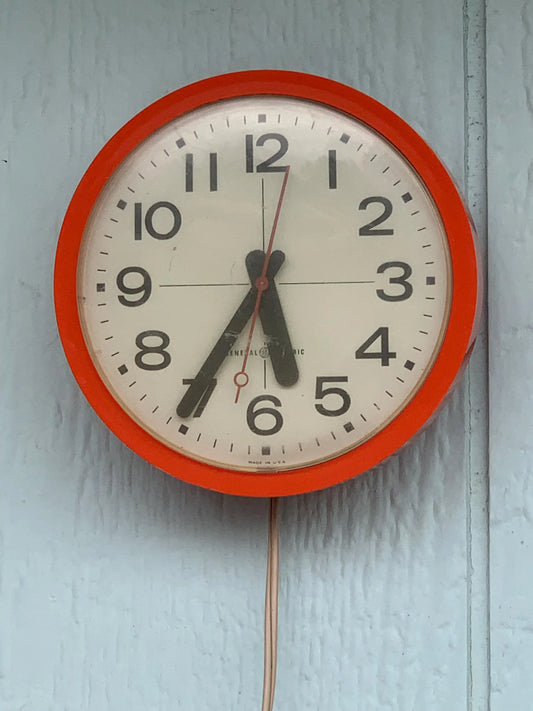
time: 5:35
